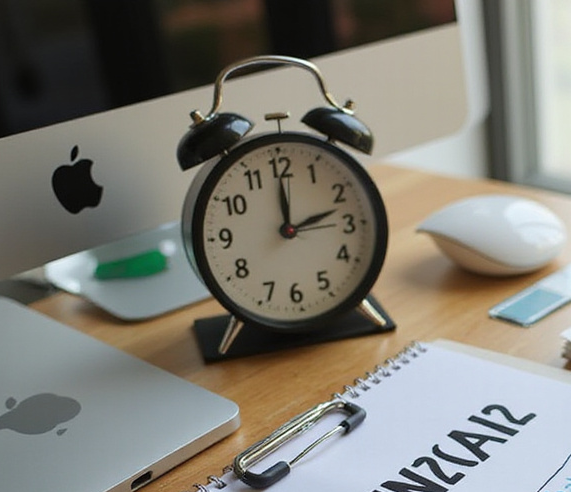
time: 12:12
